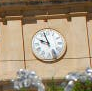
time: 9:57
